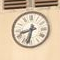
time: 8:32
